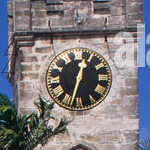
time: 12:32
